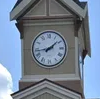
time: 1:43
